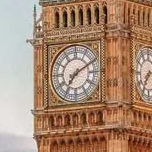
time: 7:10
